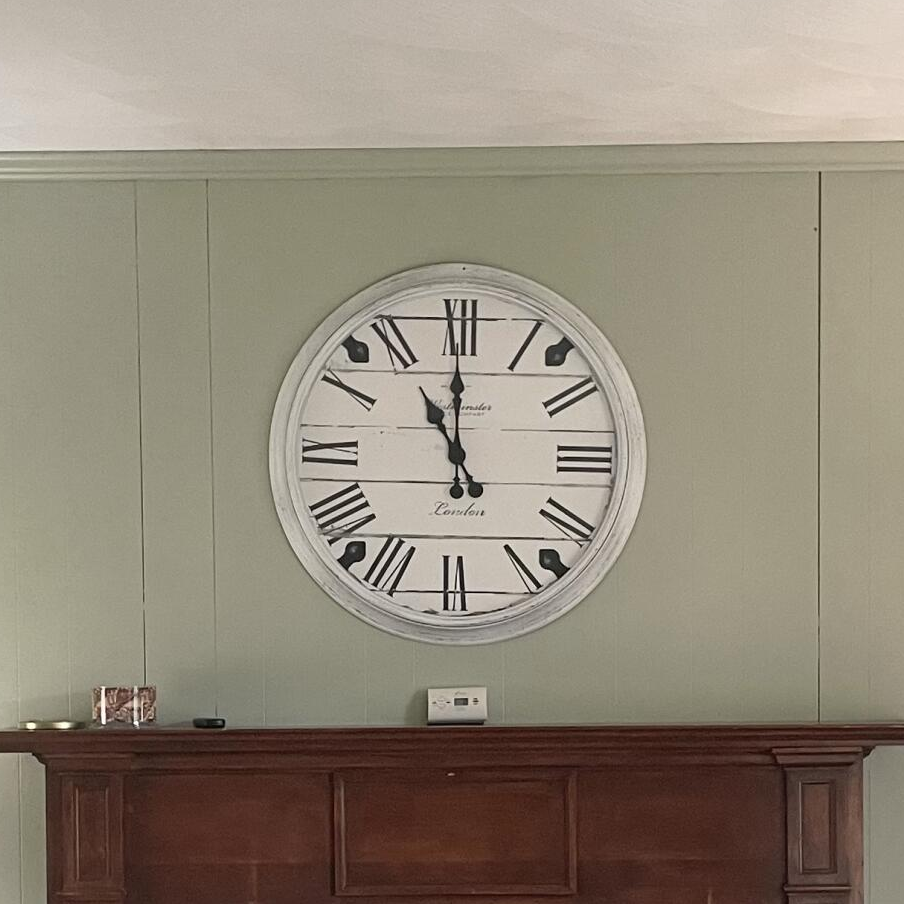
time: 10:59
